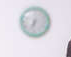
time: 6:32
